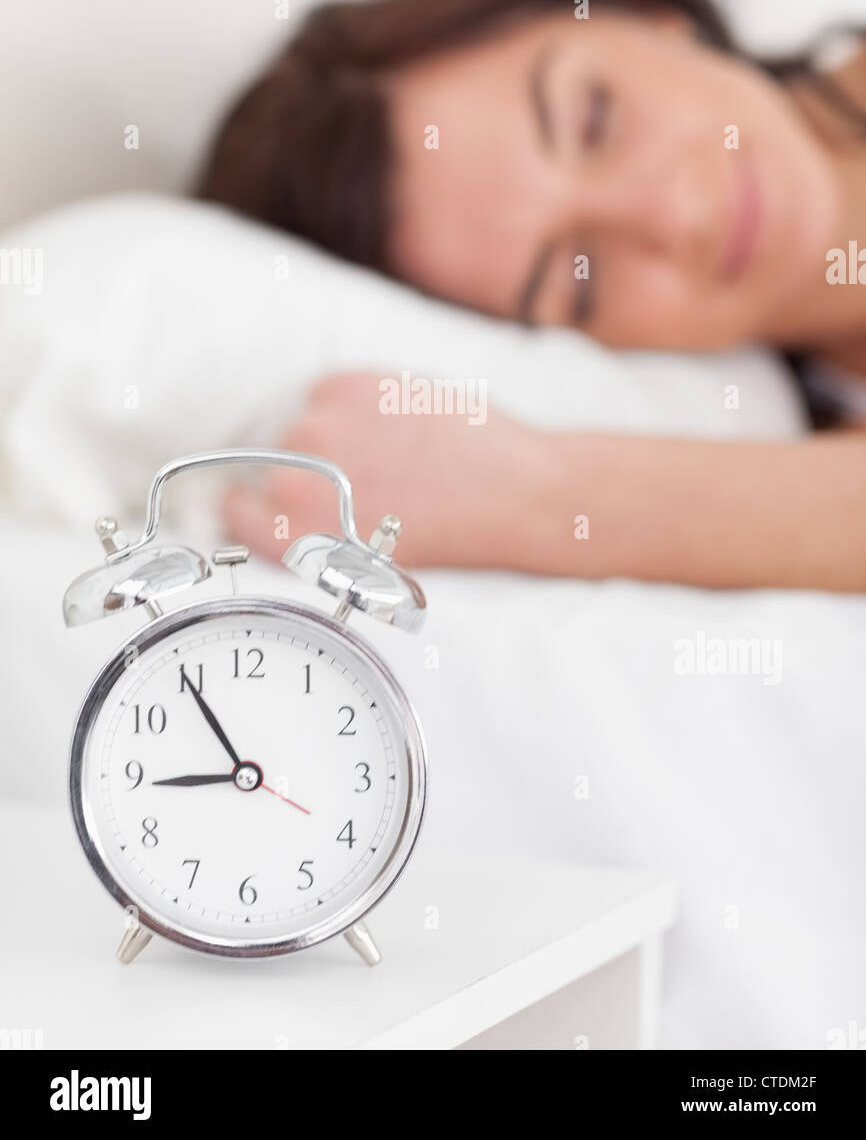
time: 8:54
